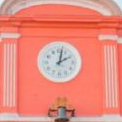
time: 2:01
